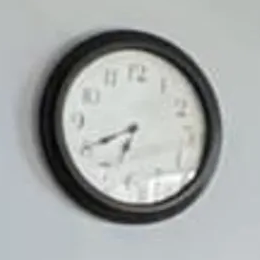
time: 6:40
